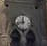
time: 11:42
